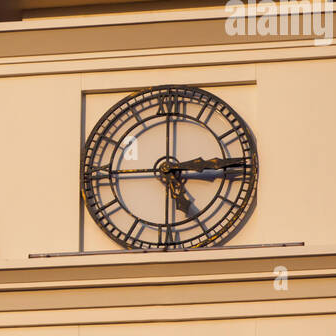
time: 5:14
